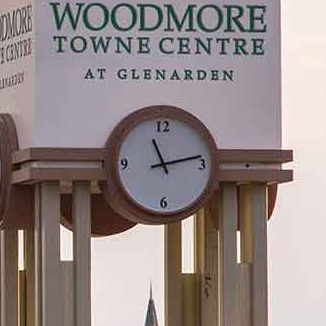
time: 11:12
